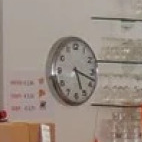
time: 5:18
